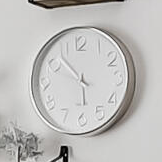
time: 5:52
